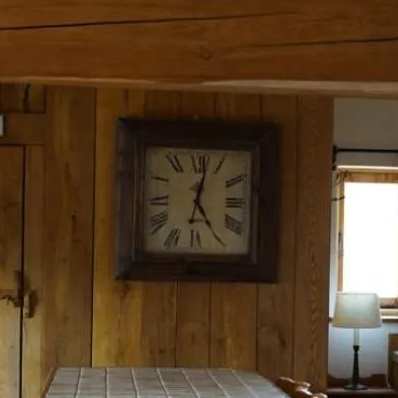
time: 5:02
